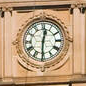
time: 12:30
